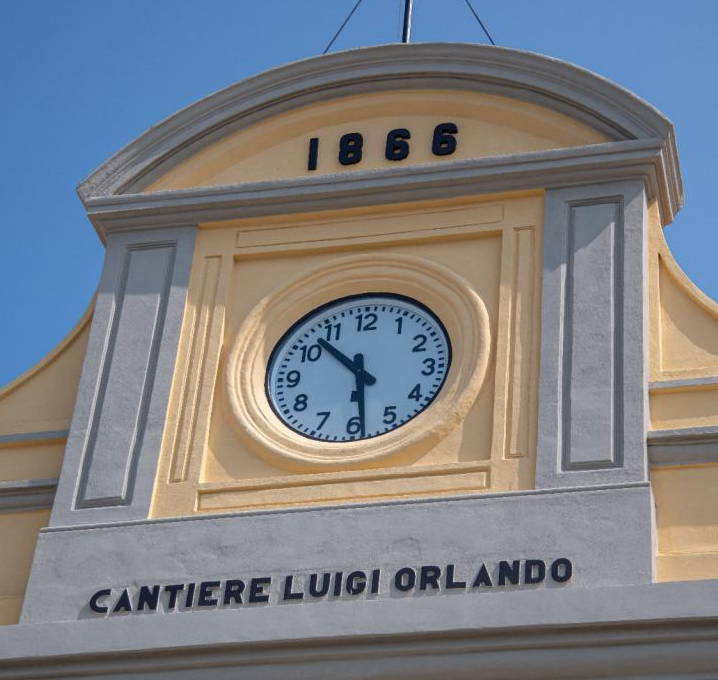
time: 5:52
